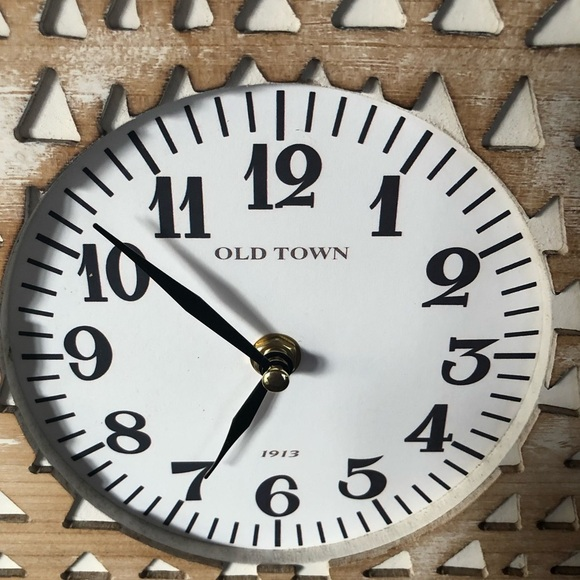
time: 6:51
